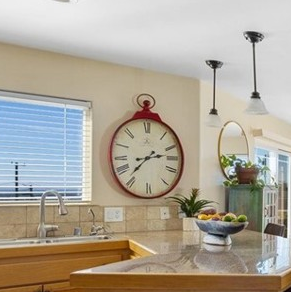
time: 2:36
